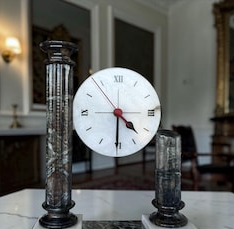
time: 4:30
